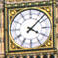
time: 4:07
